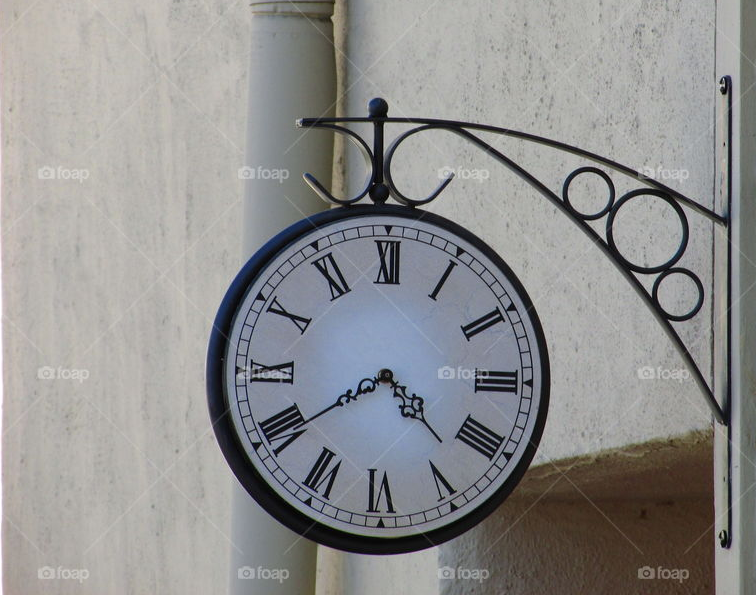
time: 4:39
